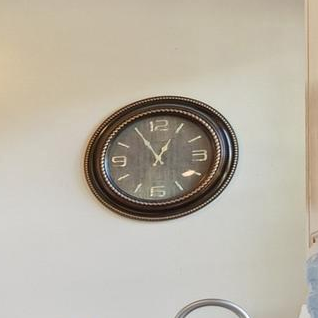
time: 12:55
